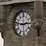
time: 2:46
